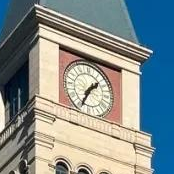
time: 1:34
